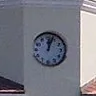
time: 12:03
